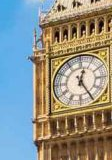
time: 12:24
